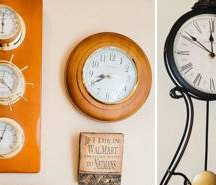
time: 8:40
